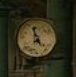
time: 4:57
